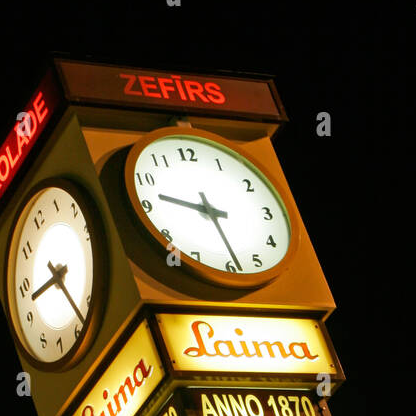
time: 9:28
